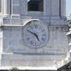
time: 4:49
